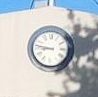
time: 8:46
